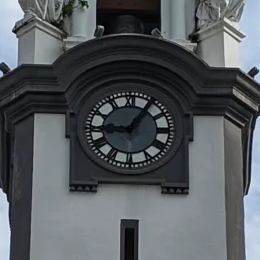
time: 9:05
